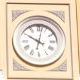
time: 10:02
